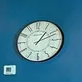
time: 1:11
